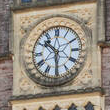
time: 10:30
